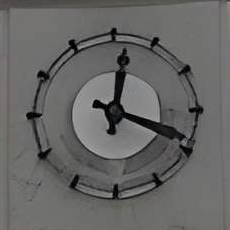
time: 12:18
